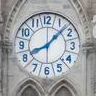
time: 8:07
